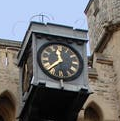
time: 11:37
